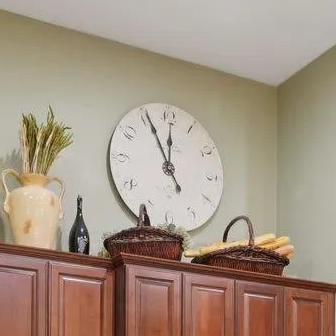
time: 11:55
